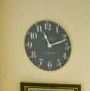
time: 11:11
